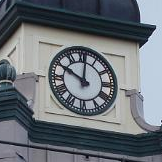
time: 10:00
